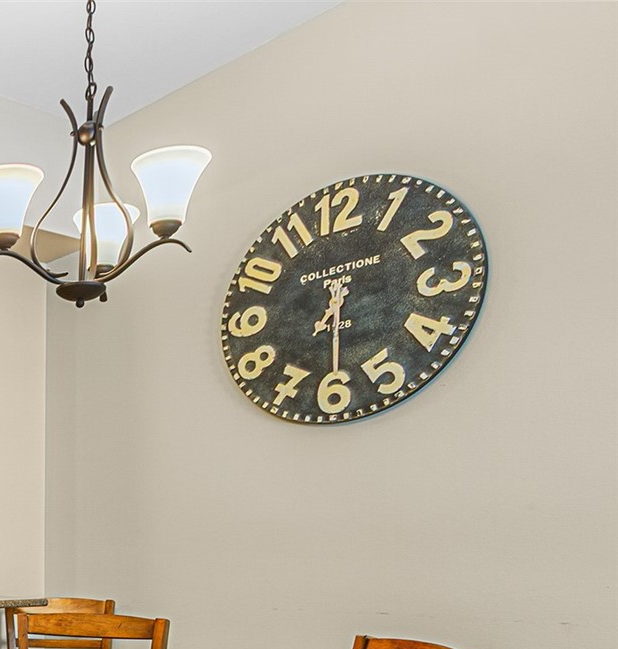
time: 12:29
